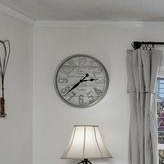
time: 2:38
